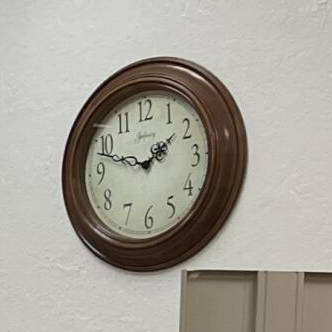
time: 1:47
